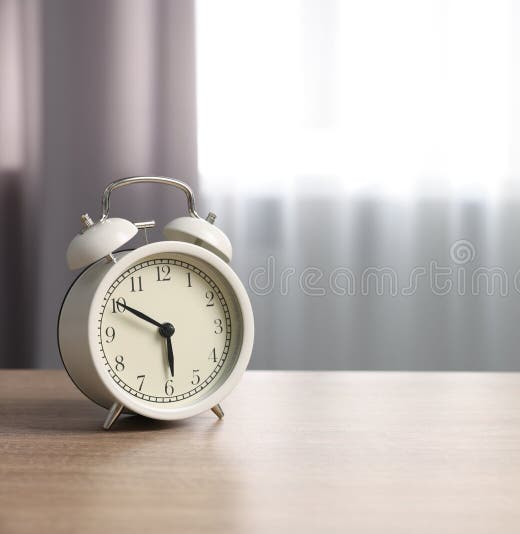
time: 5:50
